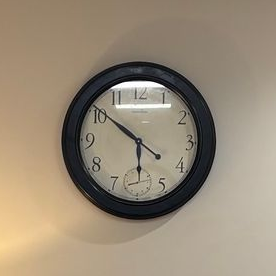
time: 5:51
